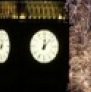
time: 12:07
